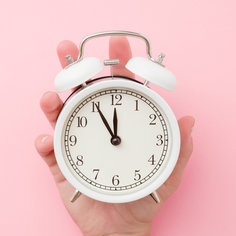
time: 11:55
